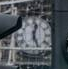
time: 12:26
